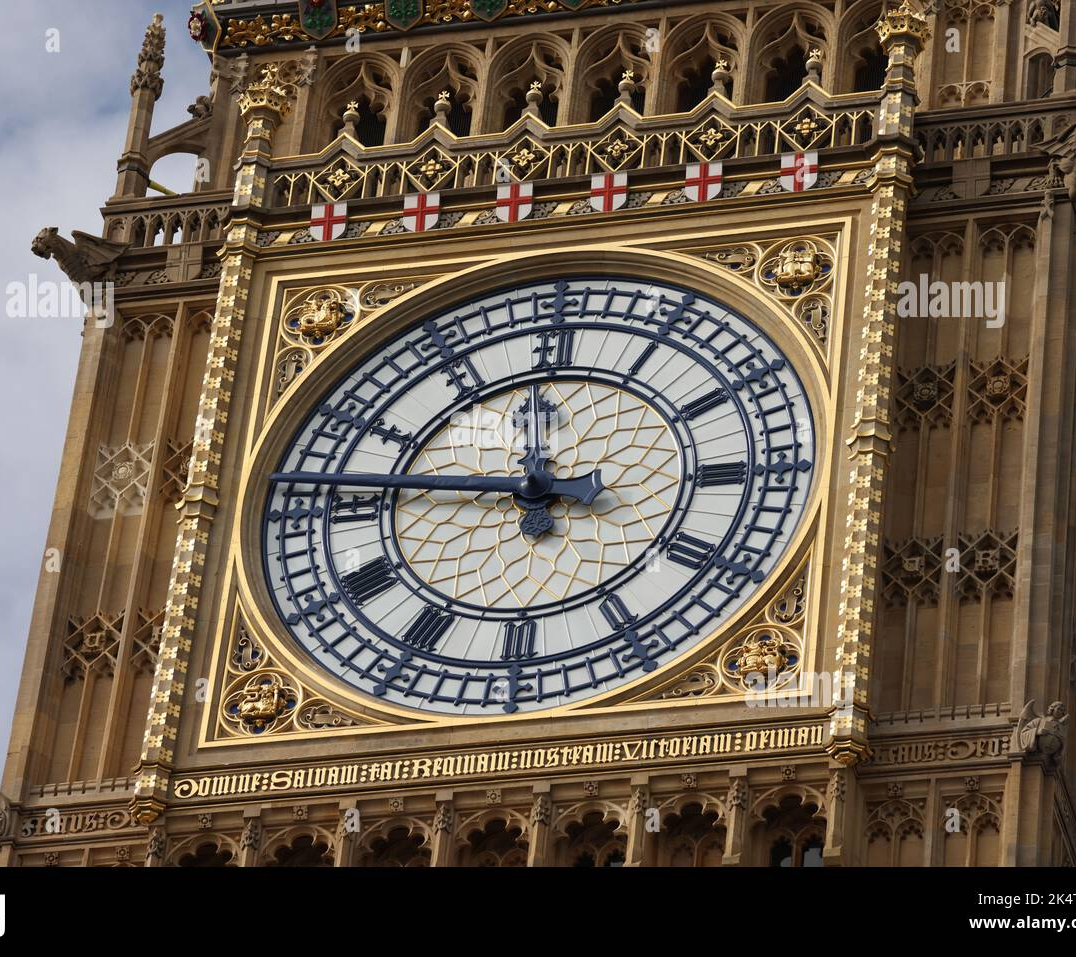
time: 11:46
